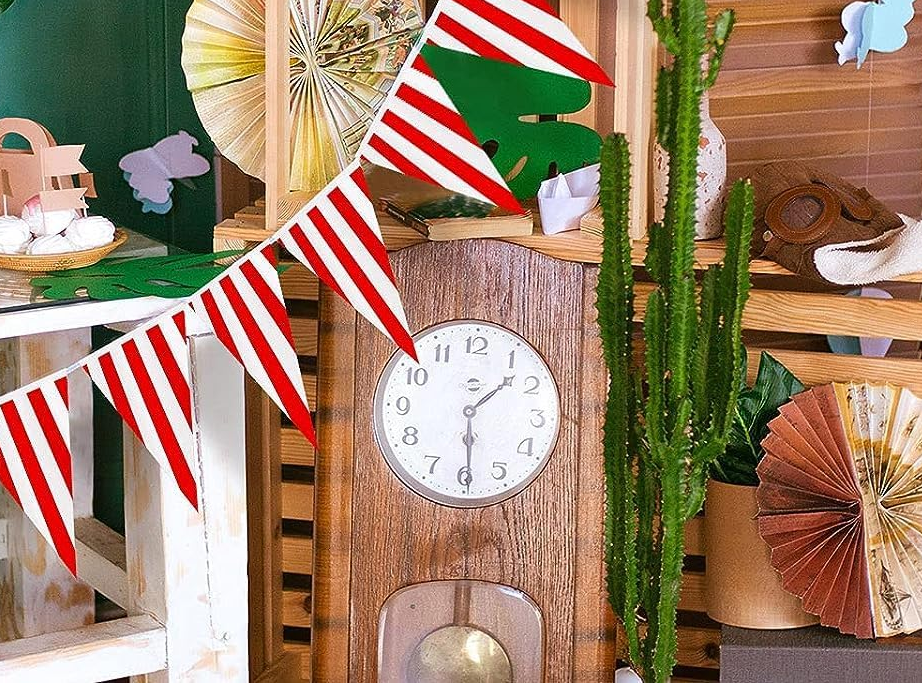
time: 1:29
